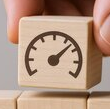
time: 1:07
